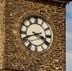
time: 3:41
